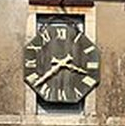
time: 3:38
